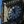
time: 11:55
